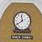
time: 11:39
